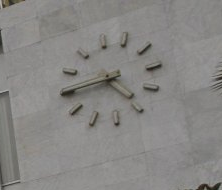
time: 4:44
